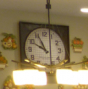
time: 9:55
